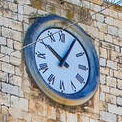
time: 10:05
